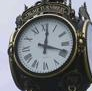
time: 12:18
